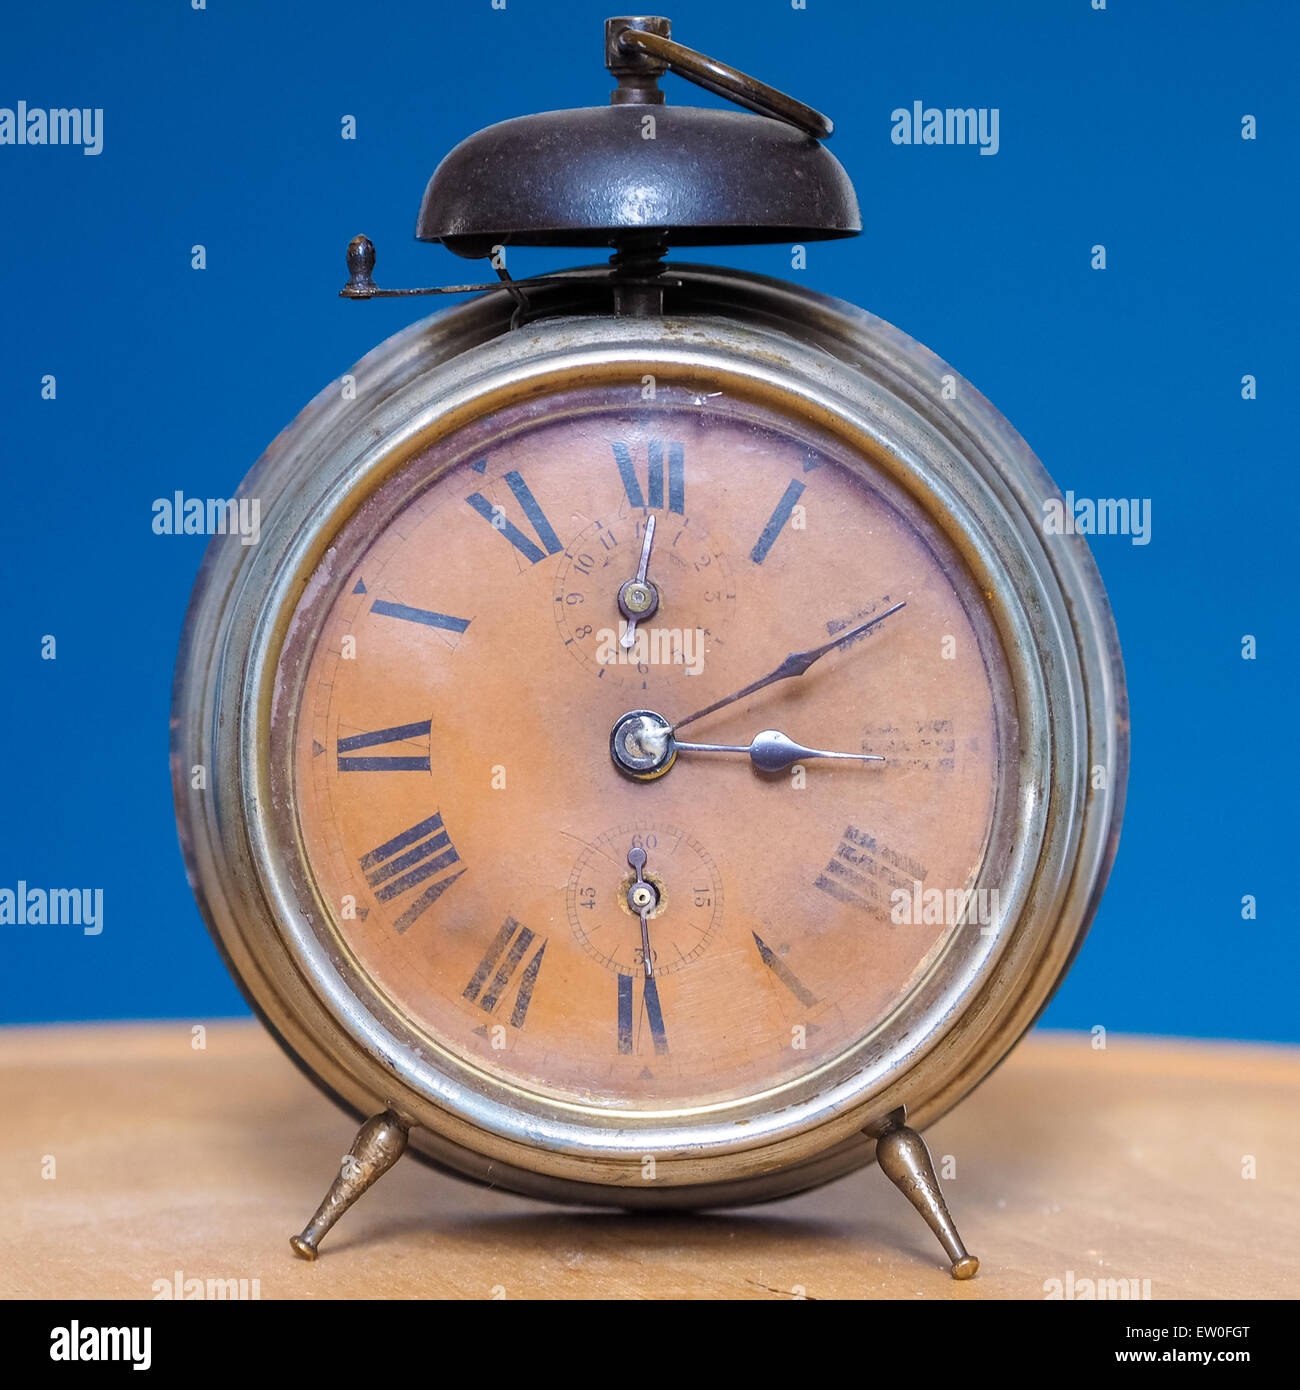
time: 3:09
